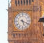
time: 5:18
